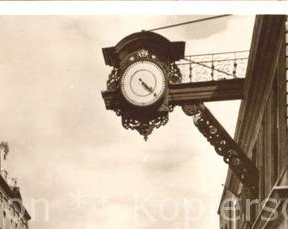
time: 4:22
